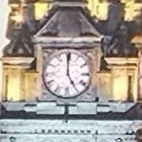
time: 4:59
